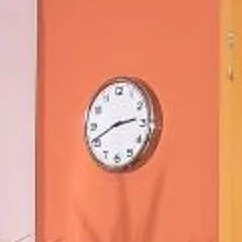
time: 2:41
